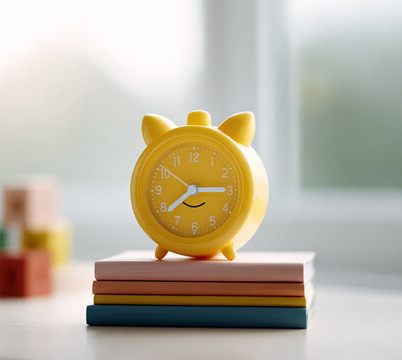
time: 2:38
